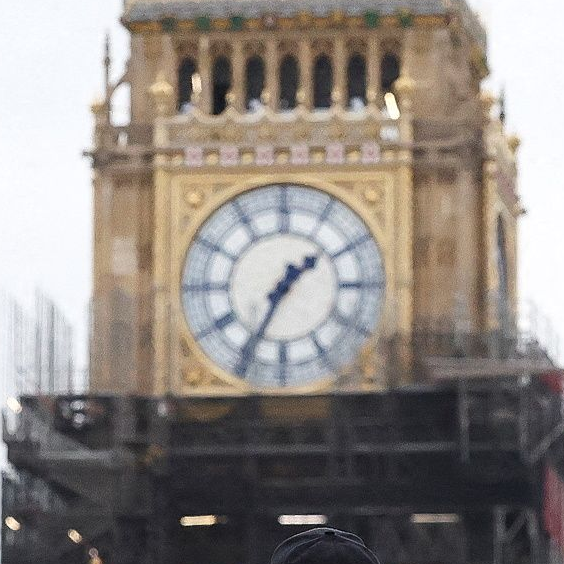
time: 1:34
